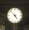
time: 4:52
